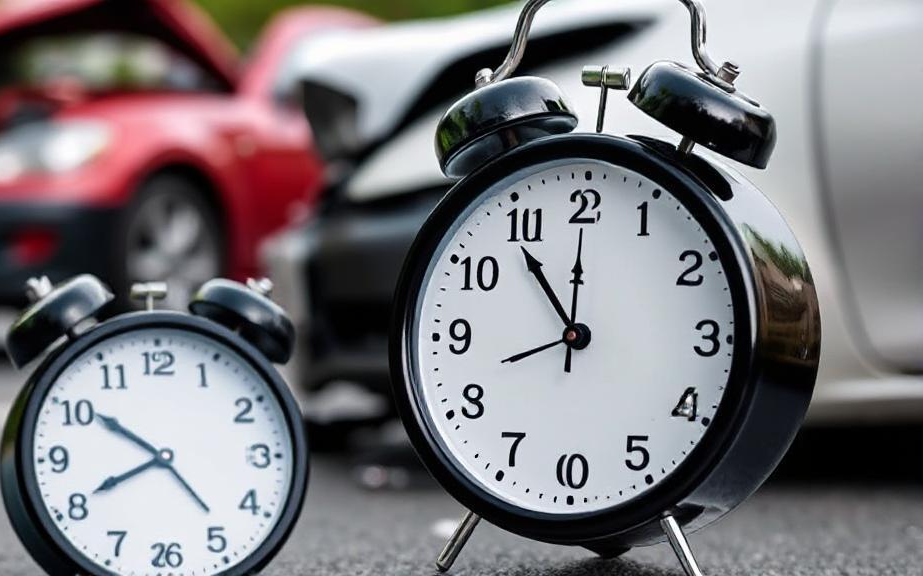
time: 10:41
